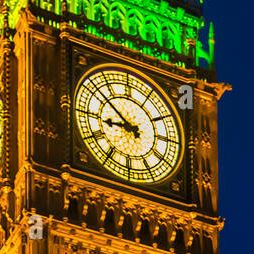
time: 8:51
